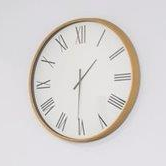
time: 1:30
